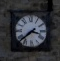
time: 3:38
